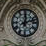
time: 12:12
